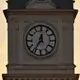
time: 12:35
